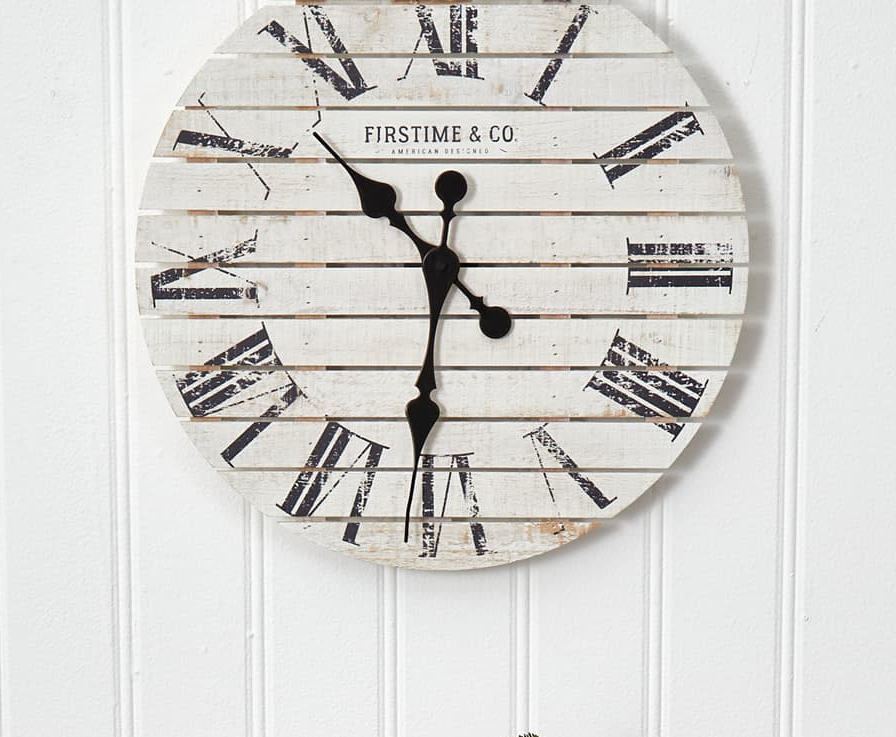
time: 10:31
